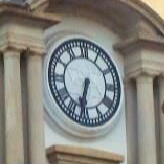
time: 6:32
